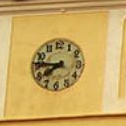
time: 7:46
